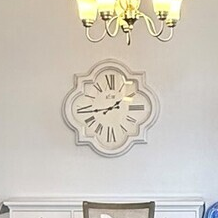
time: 1:43
